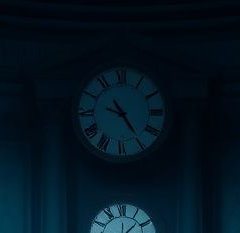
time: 9:24
